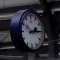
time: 2:14
